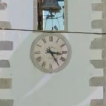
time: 3:24
